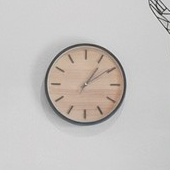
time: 1:09
